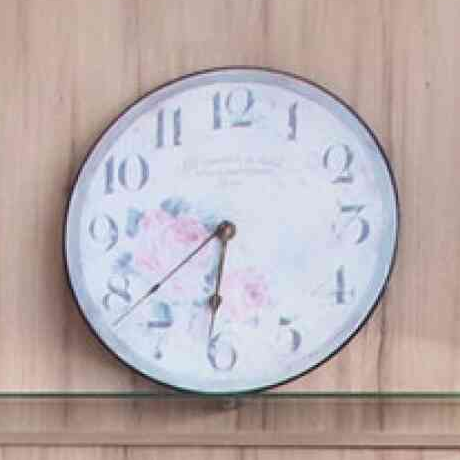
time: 9:31
